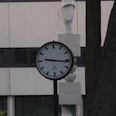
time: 9:16
